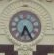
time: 6:25
